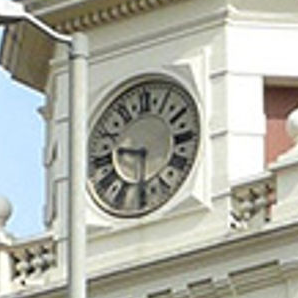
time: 9:30
